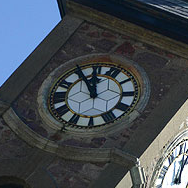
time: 11:55
